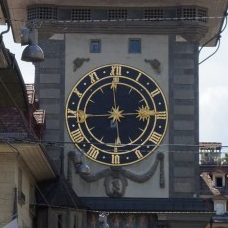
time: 2:59
